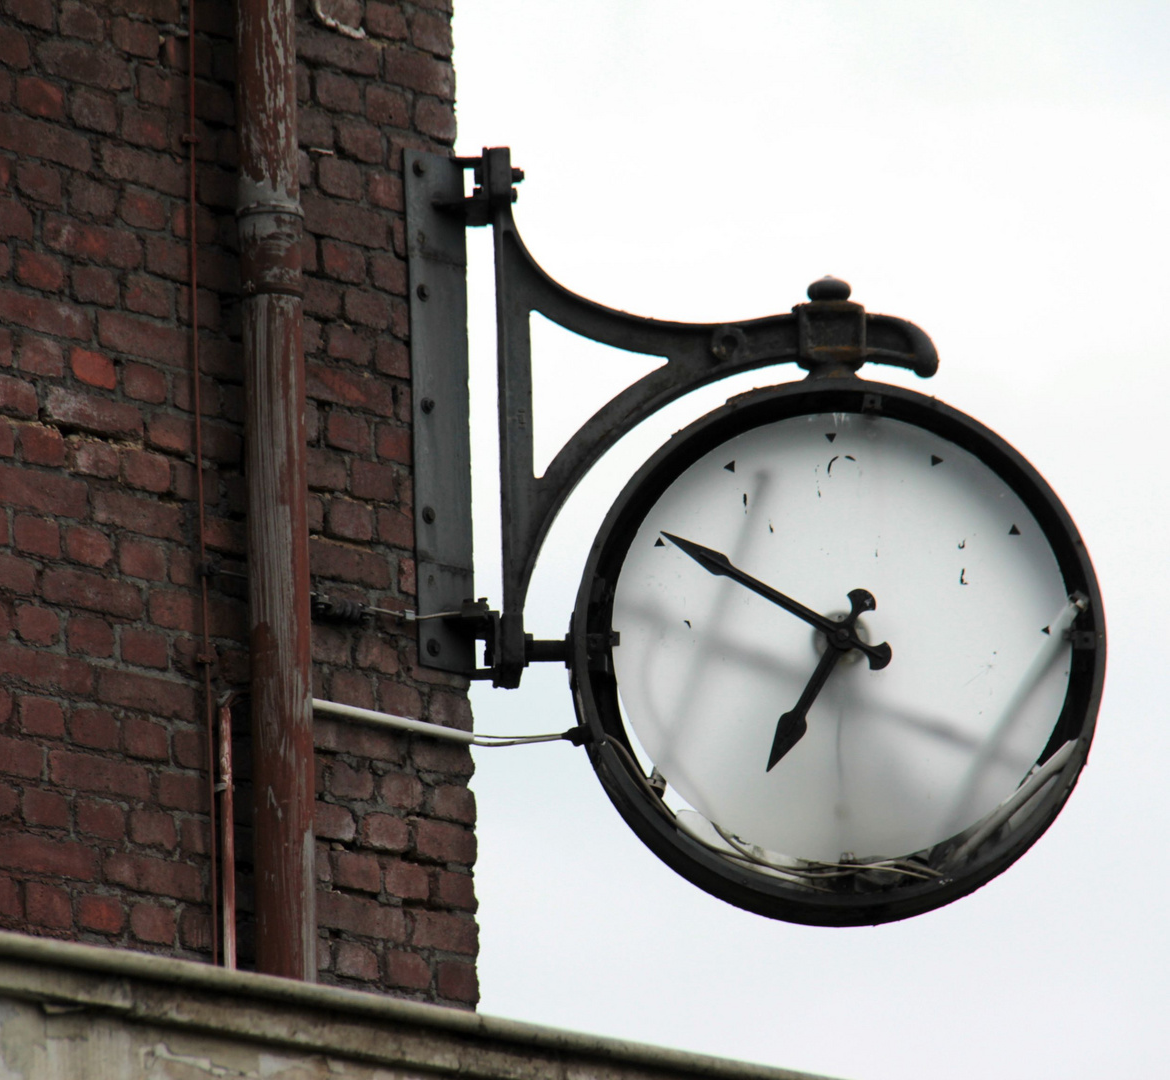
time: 6:50
